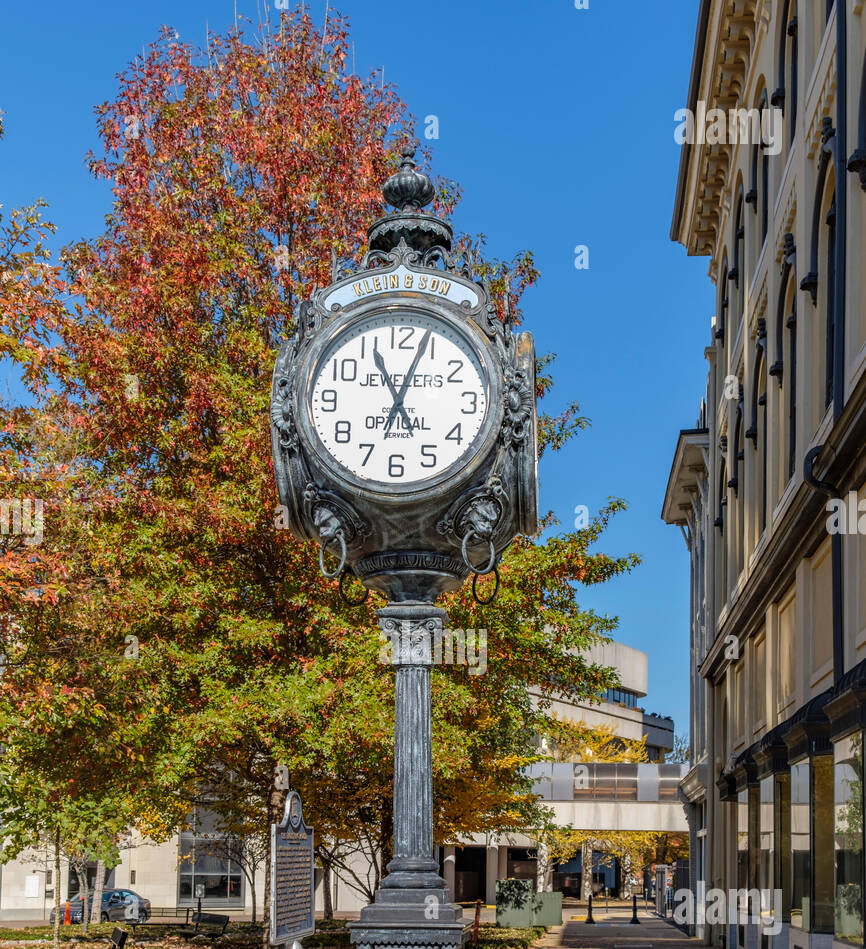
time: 11:04
